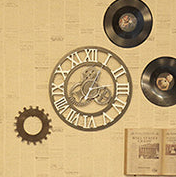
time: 7:04
